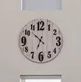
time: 6:52
